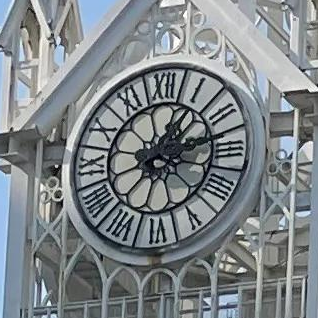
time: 1:12
